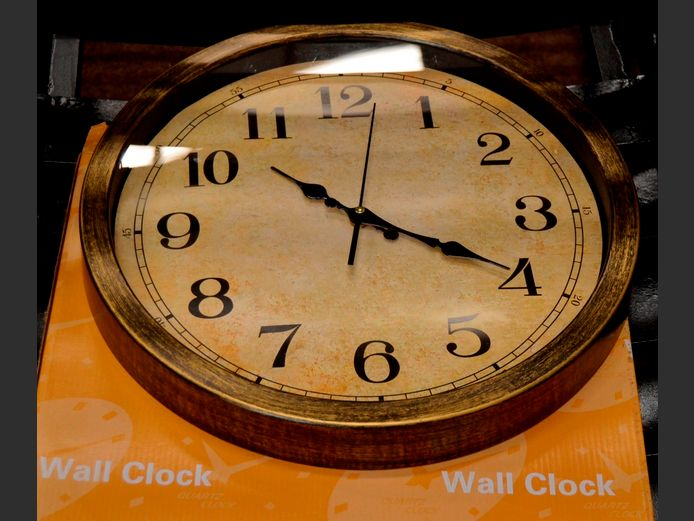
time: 10:19
